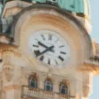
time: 9:37
